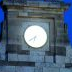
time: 6:39
